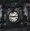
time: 2:46
